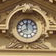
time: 11:40
